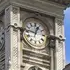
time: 12:46
